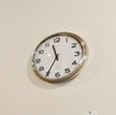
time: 11:35
